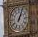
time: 1:03
